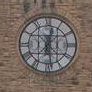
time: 12:28
